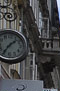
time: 1:36
